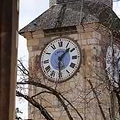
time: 1:30
